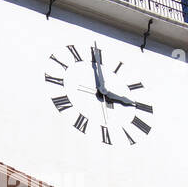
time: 2:58
